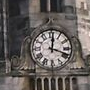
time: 12:18
